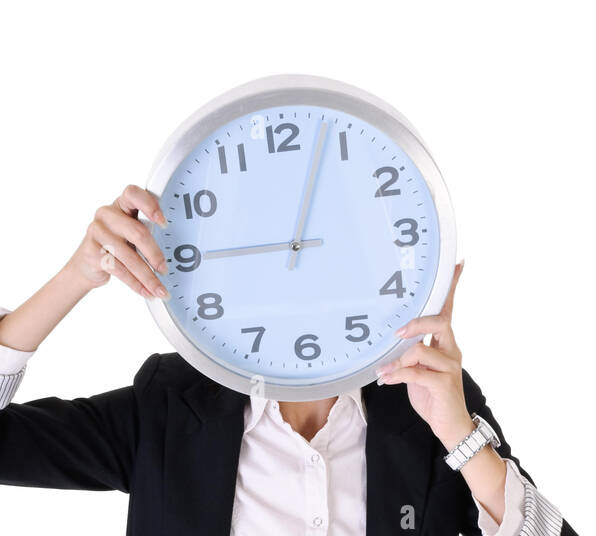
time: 9:03
